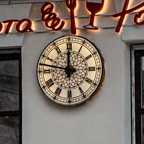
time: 11:47
